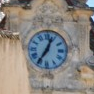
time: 7:03
